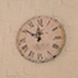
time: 11:50
